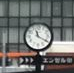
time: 11:19
